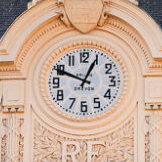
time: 12:49
